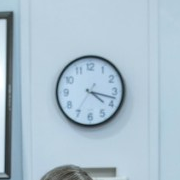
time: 4:17
